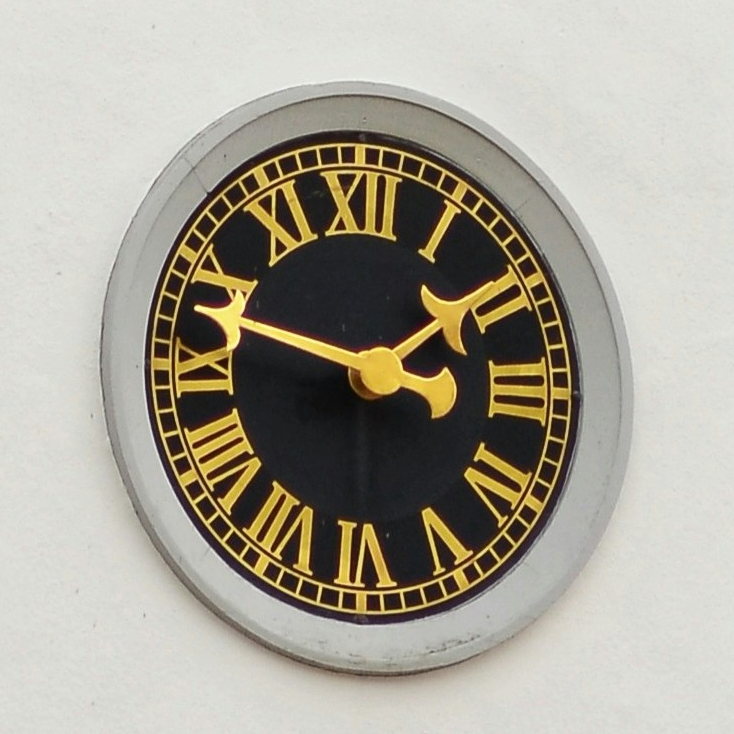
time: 1:47
